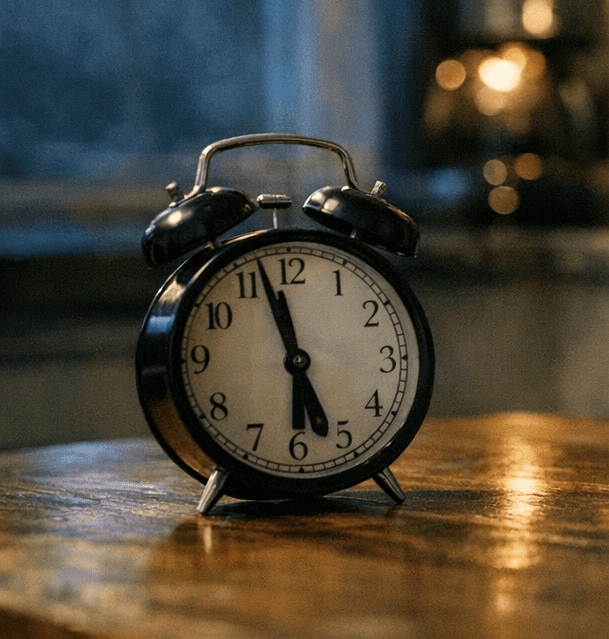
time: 5:57
